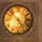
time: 4:52
